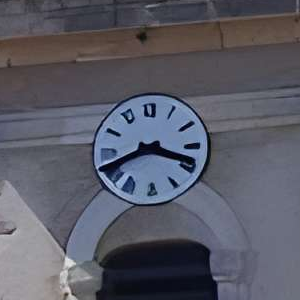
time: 3:40
